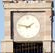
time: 1:47
